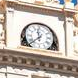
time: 11:37
